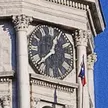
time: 12:38
